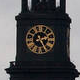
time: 2:24
